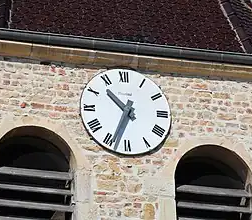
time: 10:34
